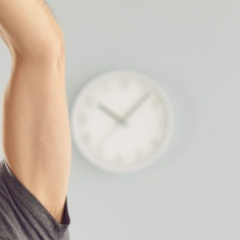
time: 10:06
